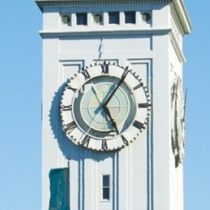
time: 5:05
